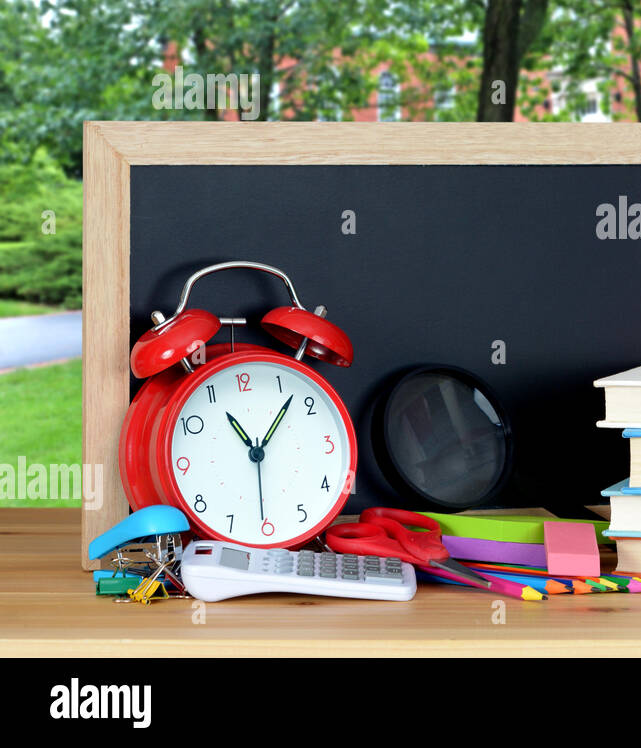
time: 11:07
